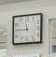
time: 11:45
